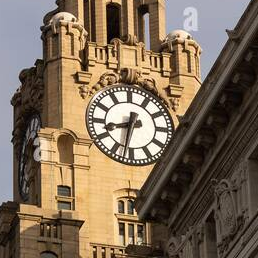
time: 8:32
